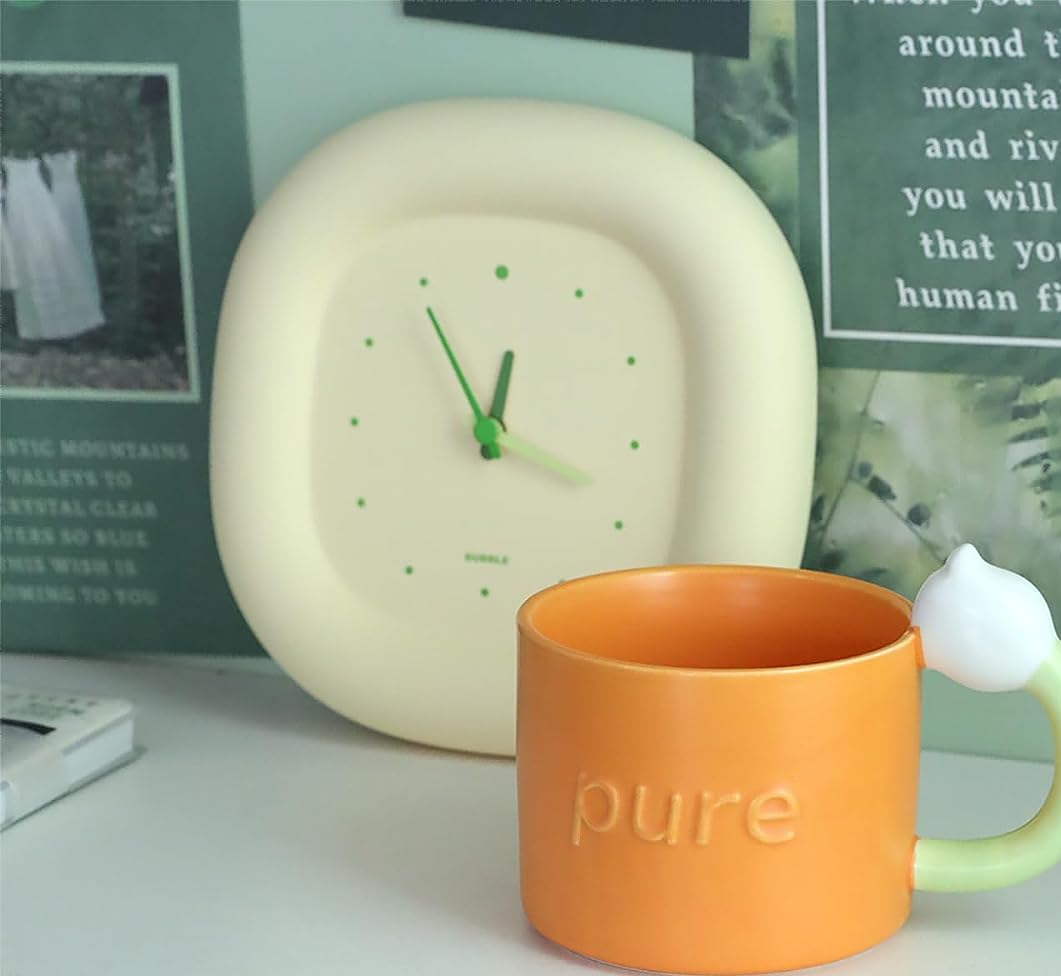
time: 12:18
